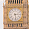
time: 2:28
